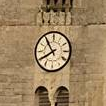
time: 7:54
